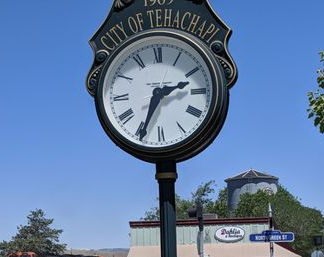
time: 2:34
